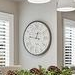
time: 12:46
